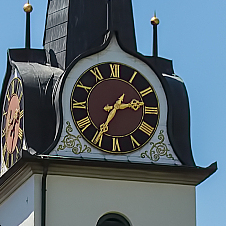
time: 2:34
